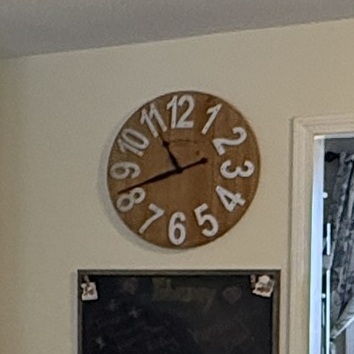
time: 10:41
